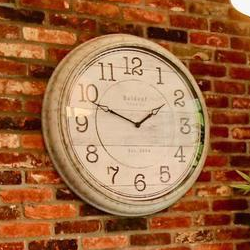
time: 1:48
